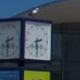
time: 2:29
